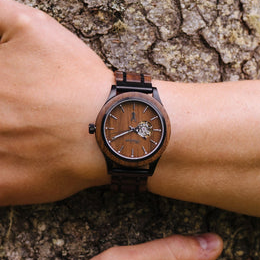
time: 3:40
